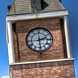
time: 2:29
